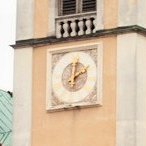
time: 2:01
